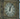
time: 12:04
